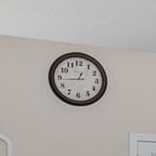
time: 12:43
